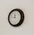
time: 11:46
